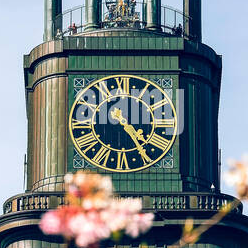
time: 4:23
